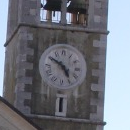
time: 4:50
